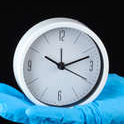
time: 10:12
